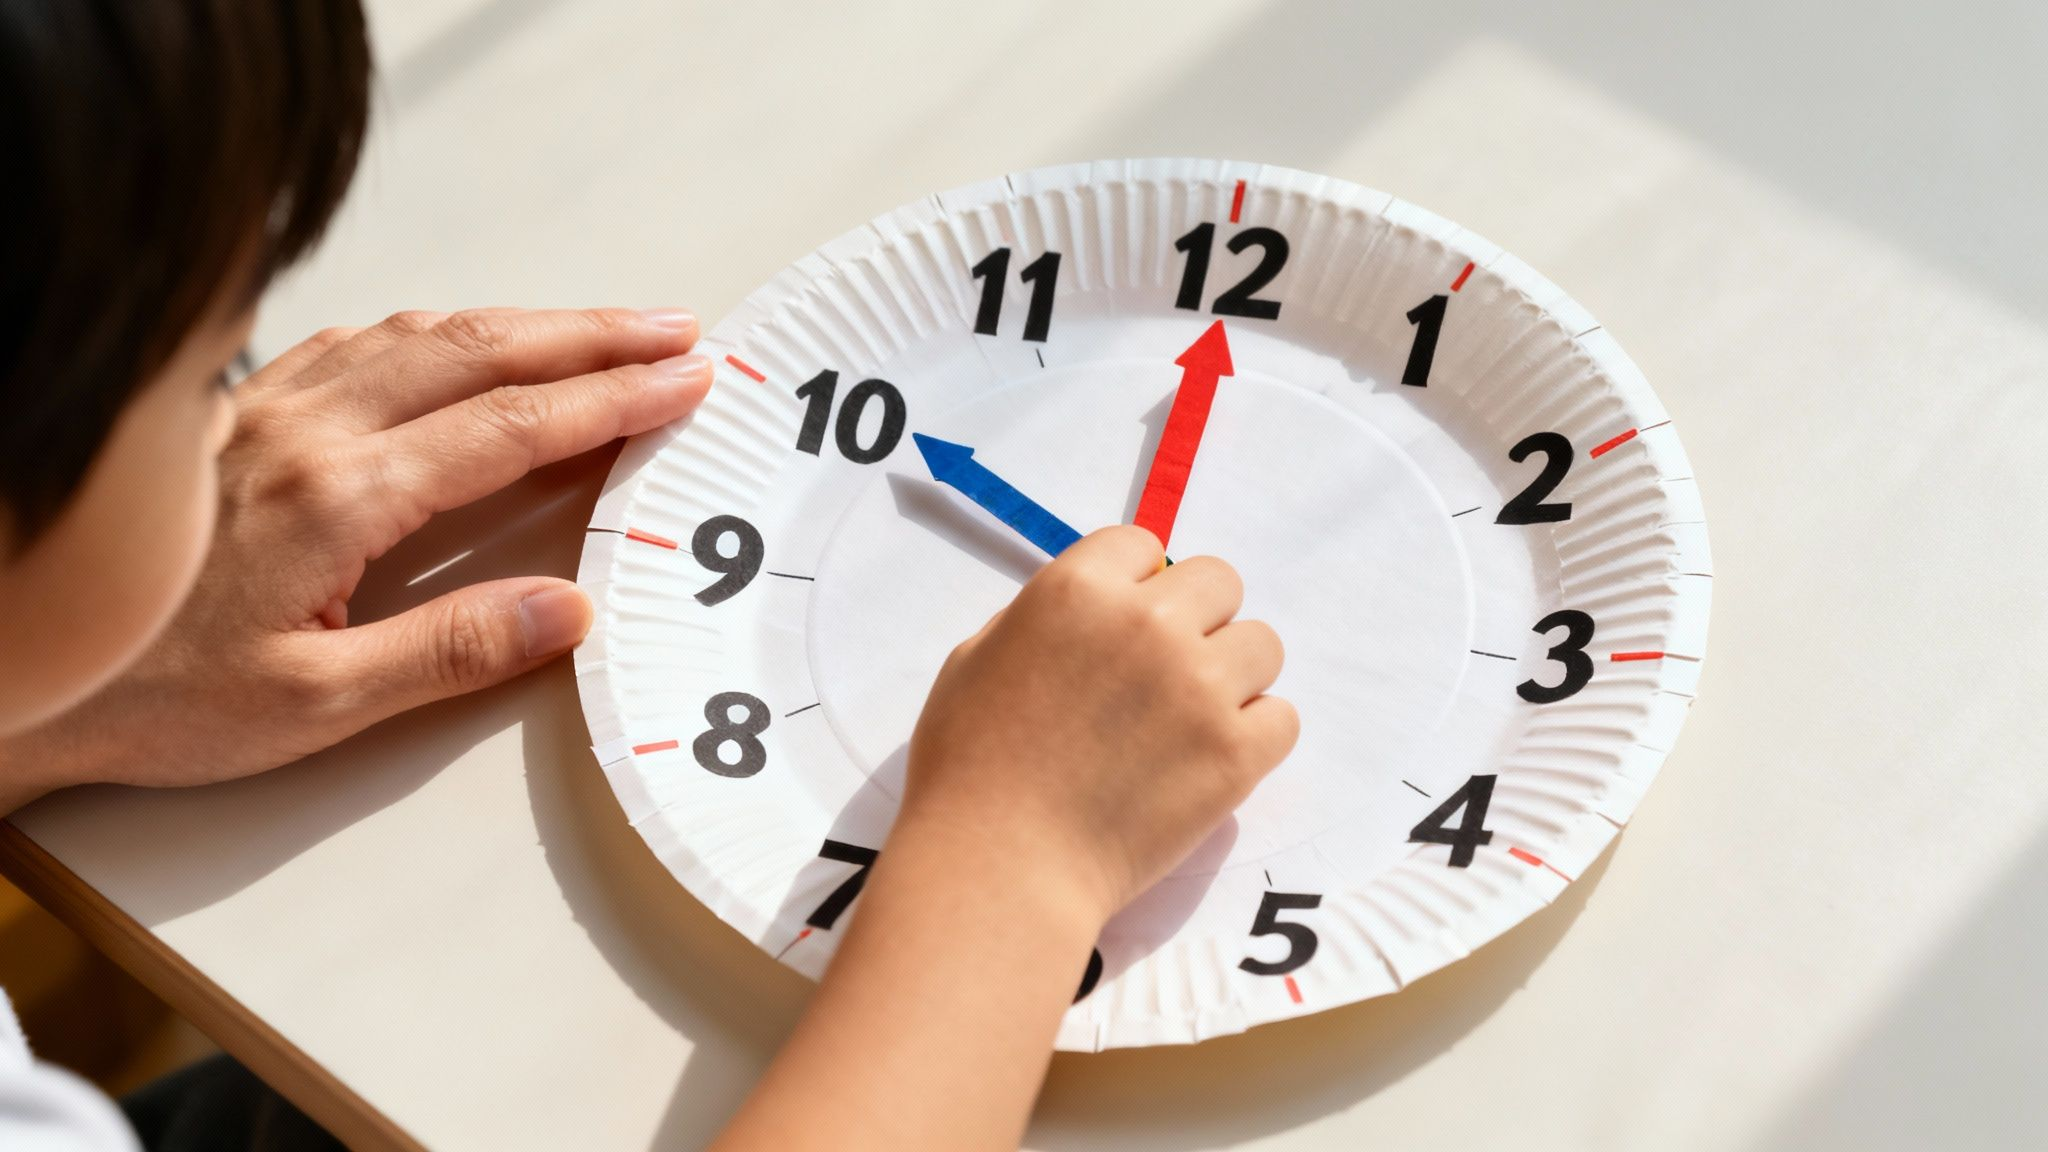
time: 10:00
